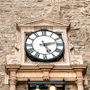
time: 5:12
